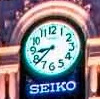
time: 8:38
